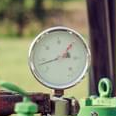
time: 1:42
